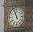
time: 10:56
